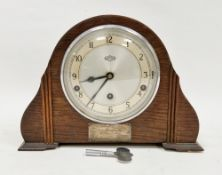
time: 8:36
